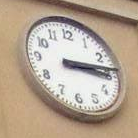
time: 3:13
